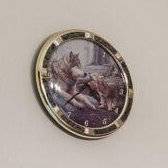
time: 4:37
